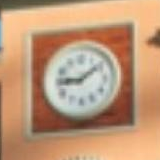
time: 9:08
